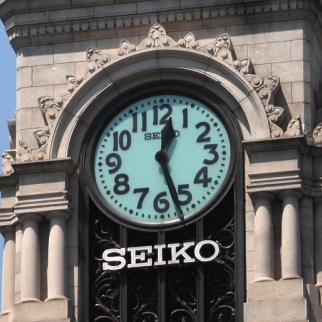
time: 12:26
